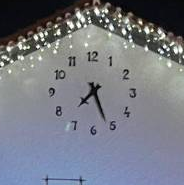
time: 7:26
